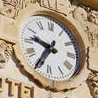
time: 9:35
